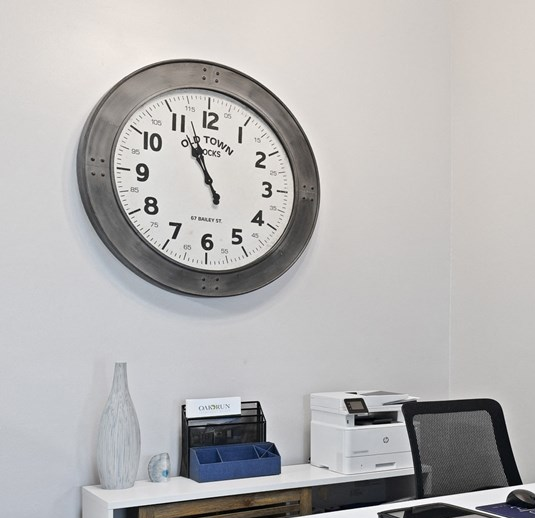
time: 10:56
